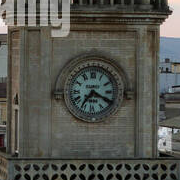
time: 7:19
